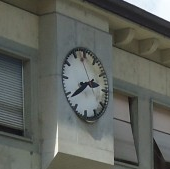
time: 2:38
